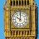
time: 10:00
